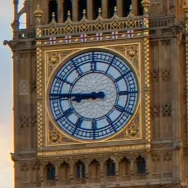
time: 8:45
